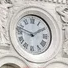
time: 1:47
